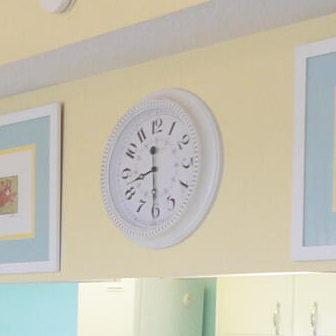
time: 8:30
